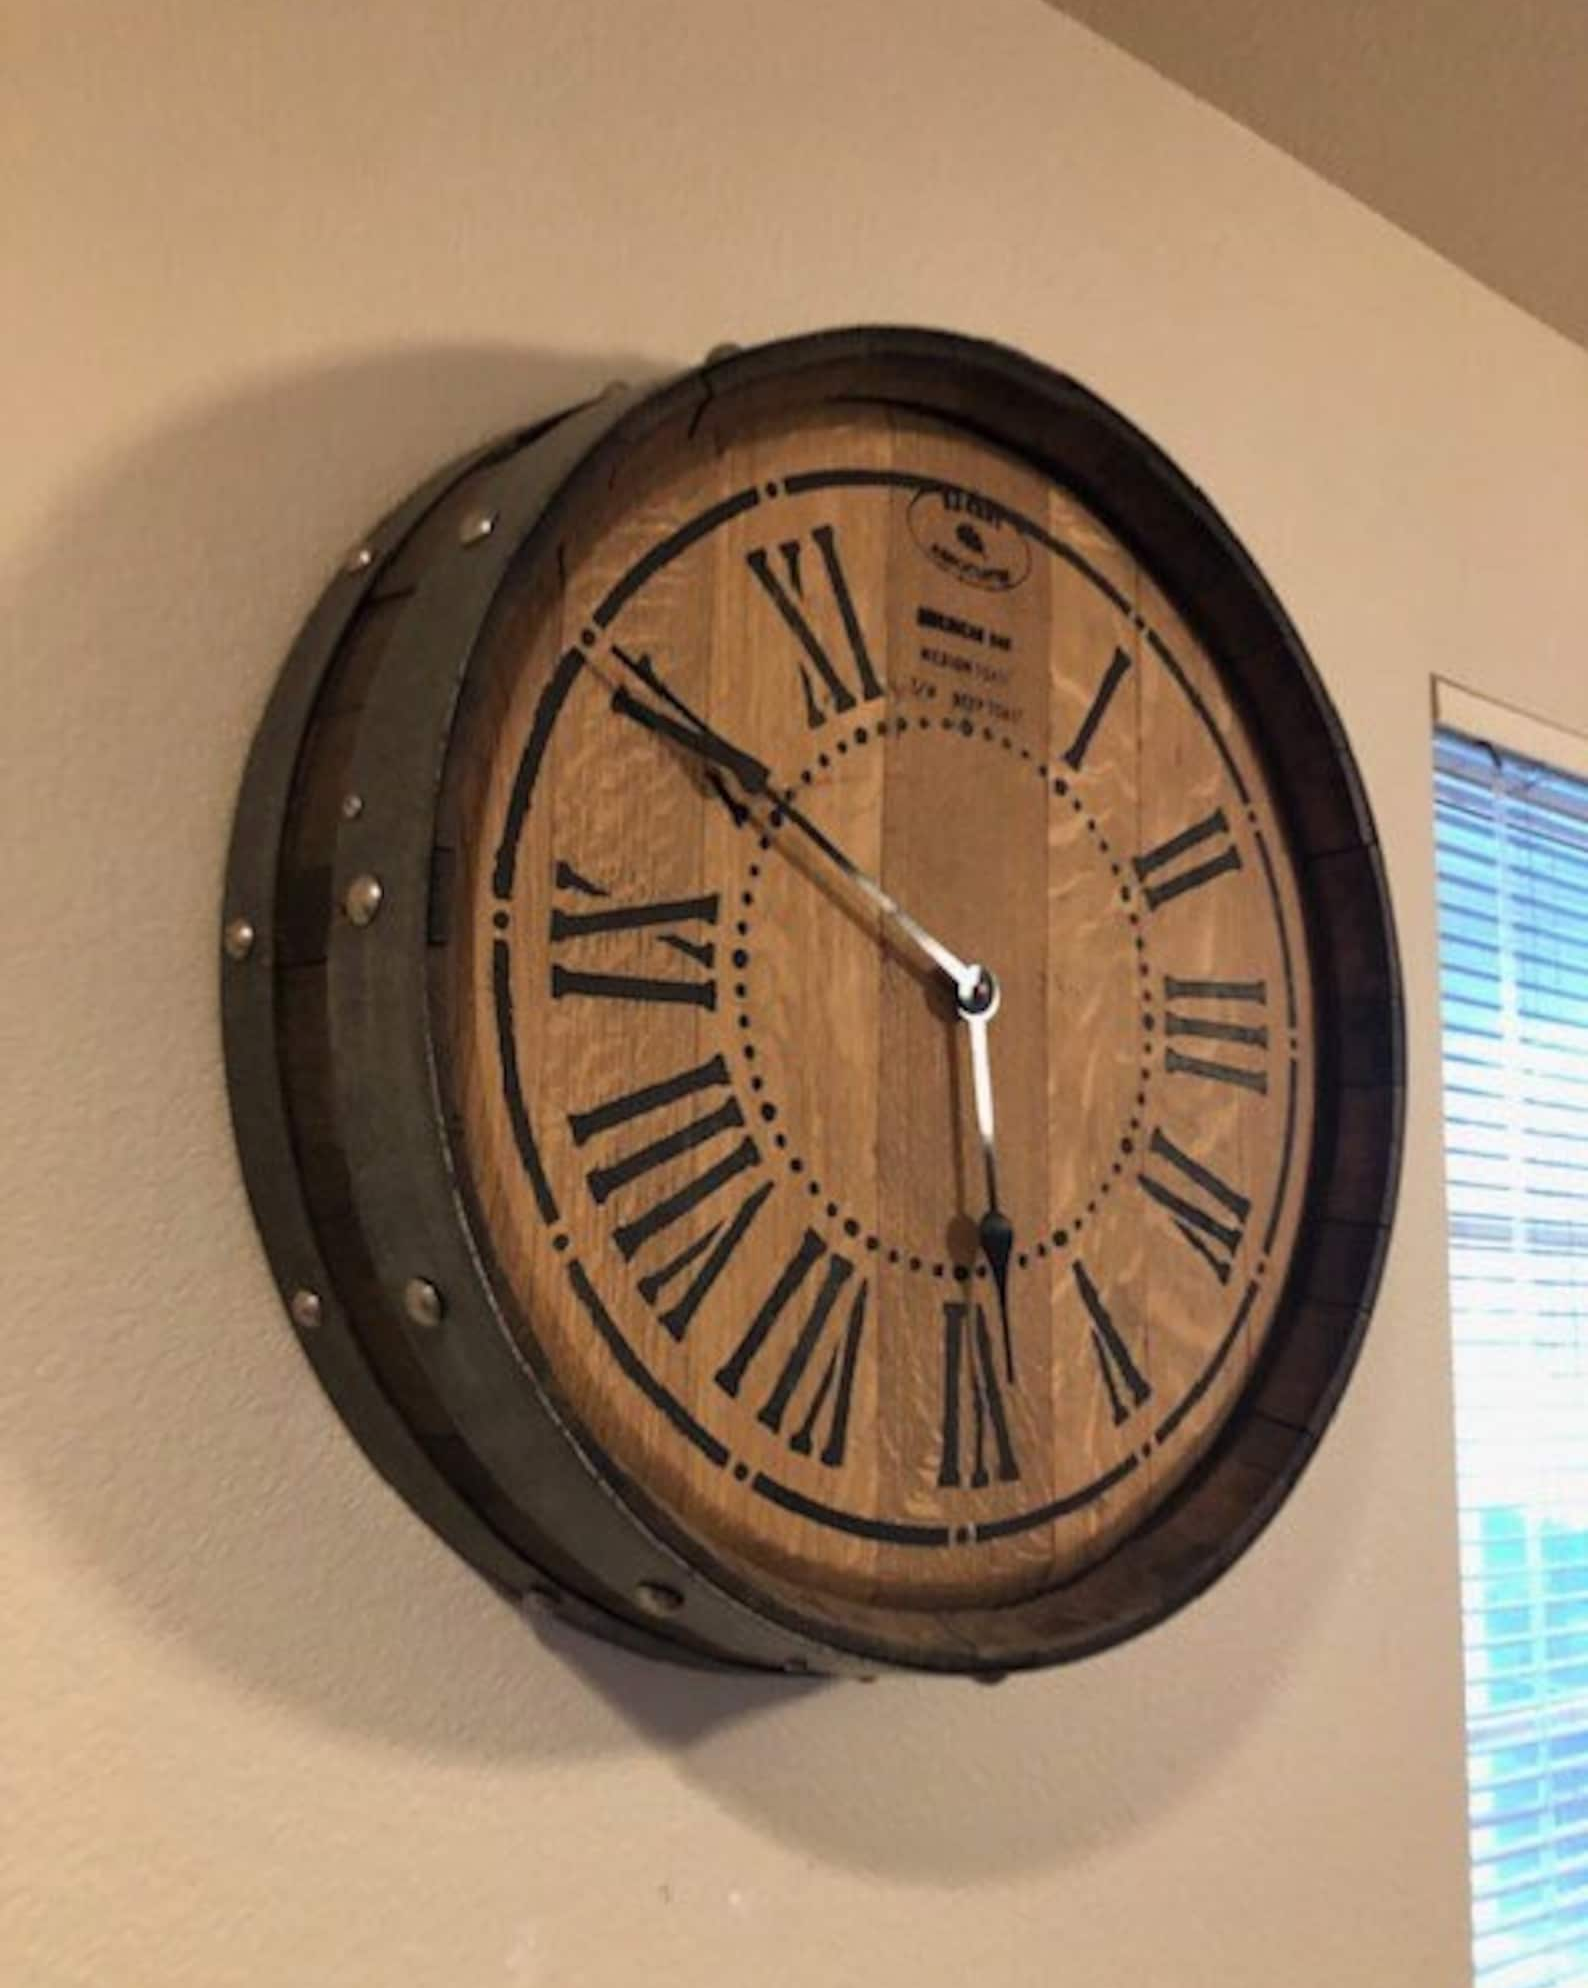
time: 5:50
